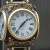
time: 1:36
